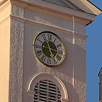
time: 5:15
